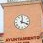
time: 12:18
